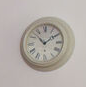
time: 1:52
